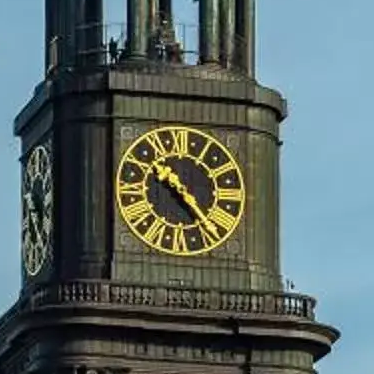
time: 10:22
